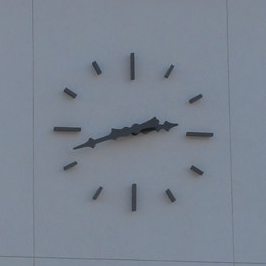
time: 2:42
